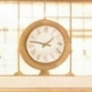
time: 1:46
